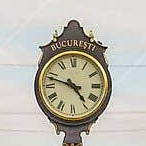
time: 4:48
